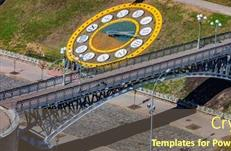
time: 3:18
